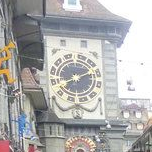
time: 8:11
